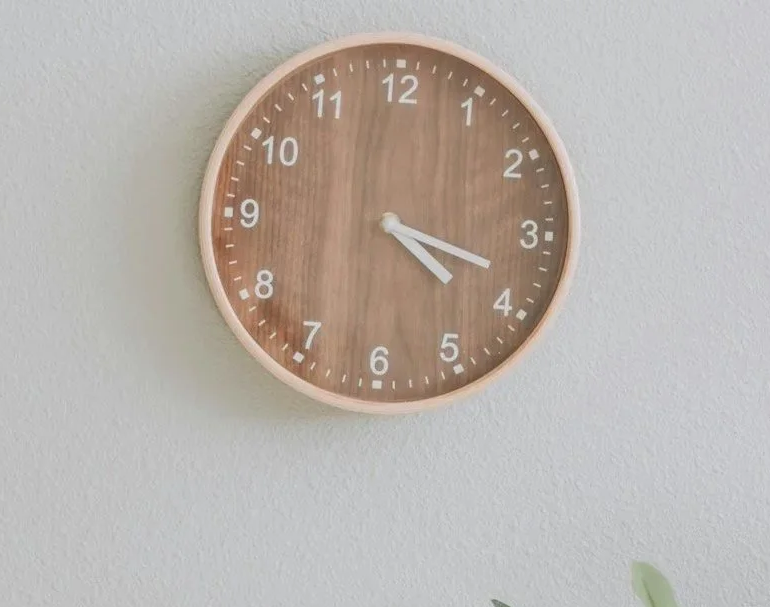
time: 4:18
